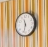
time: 11:32
